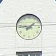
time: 1:46
